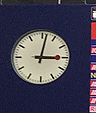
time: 3:01
